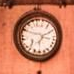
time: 3:09
